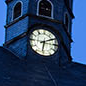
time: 6:10
